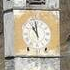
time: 10:59
